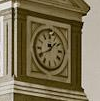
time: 1:40
